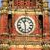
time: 11:29
